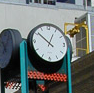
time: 12:51
